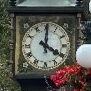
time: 4:00
